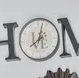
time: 8:02
